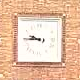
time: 9:45
